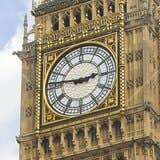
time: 2:46
